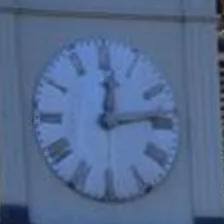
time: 12:13
